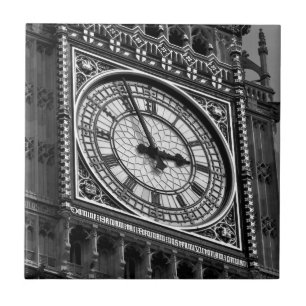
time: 2:56
